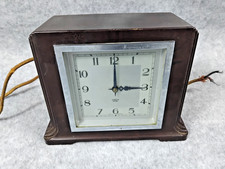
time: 3:00
